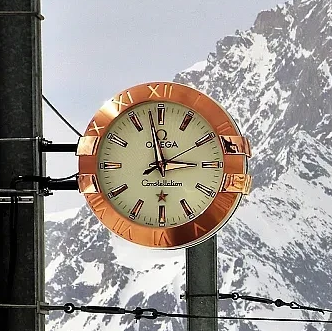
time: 2:58
